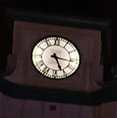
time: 5:16
